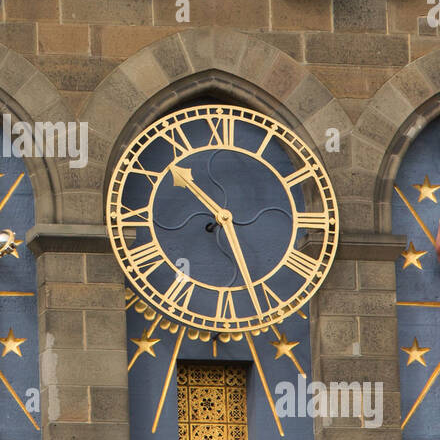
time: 10:26
